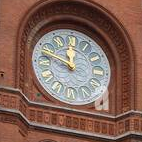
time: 11:48
